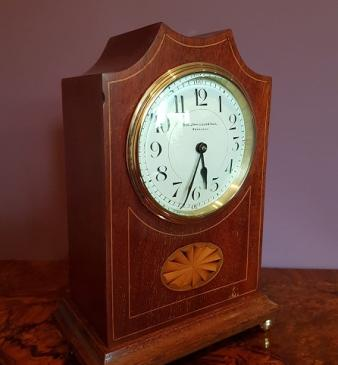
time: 5:33
